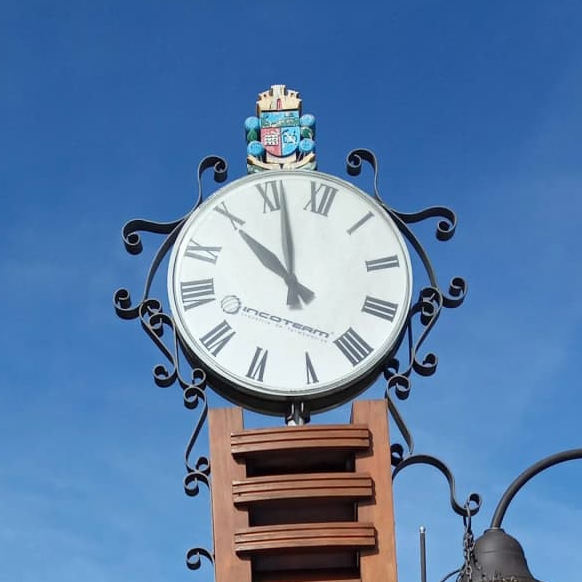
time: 9:56
